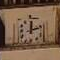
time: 12:12
